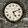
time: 5:11
